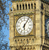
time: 6:06
